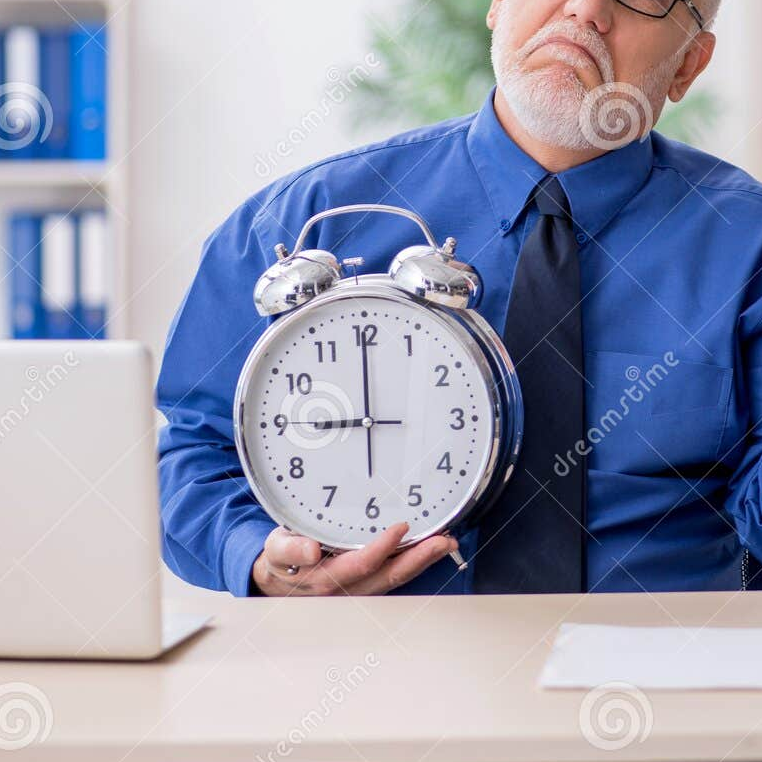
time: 8:59
